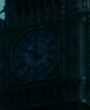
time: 11:49
